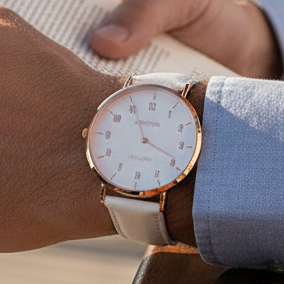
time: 3:55
